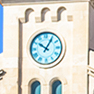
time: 10:05
